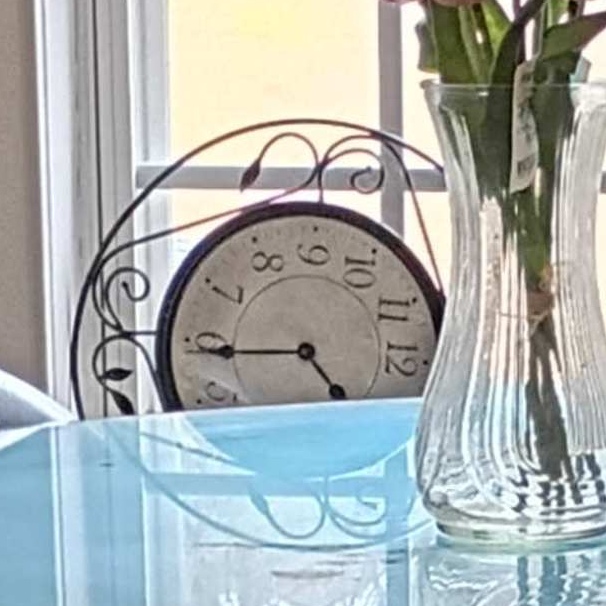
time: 4:44
